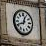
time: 12:41
